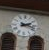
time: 2:18
